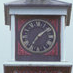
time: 7:08
